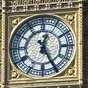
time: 12:25
